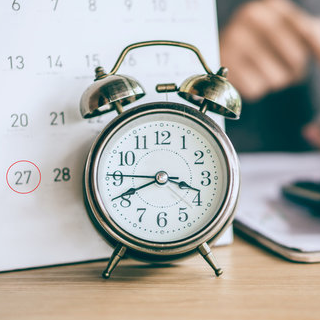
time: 3:41
